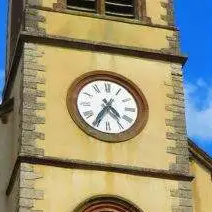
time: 4:35
